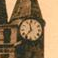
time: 11:36
